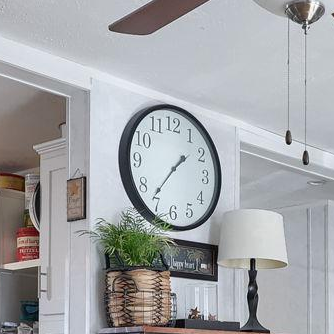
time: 1:36
